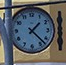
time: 1:22
